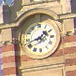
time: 1:42
